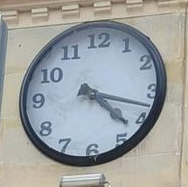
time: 4:17
